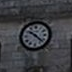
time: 10:22
